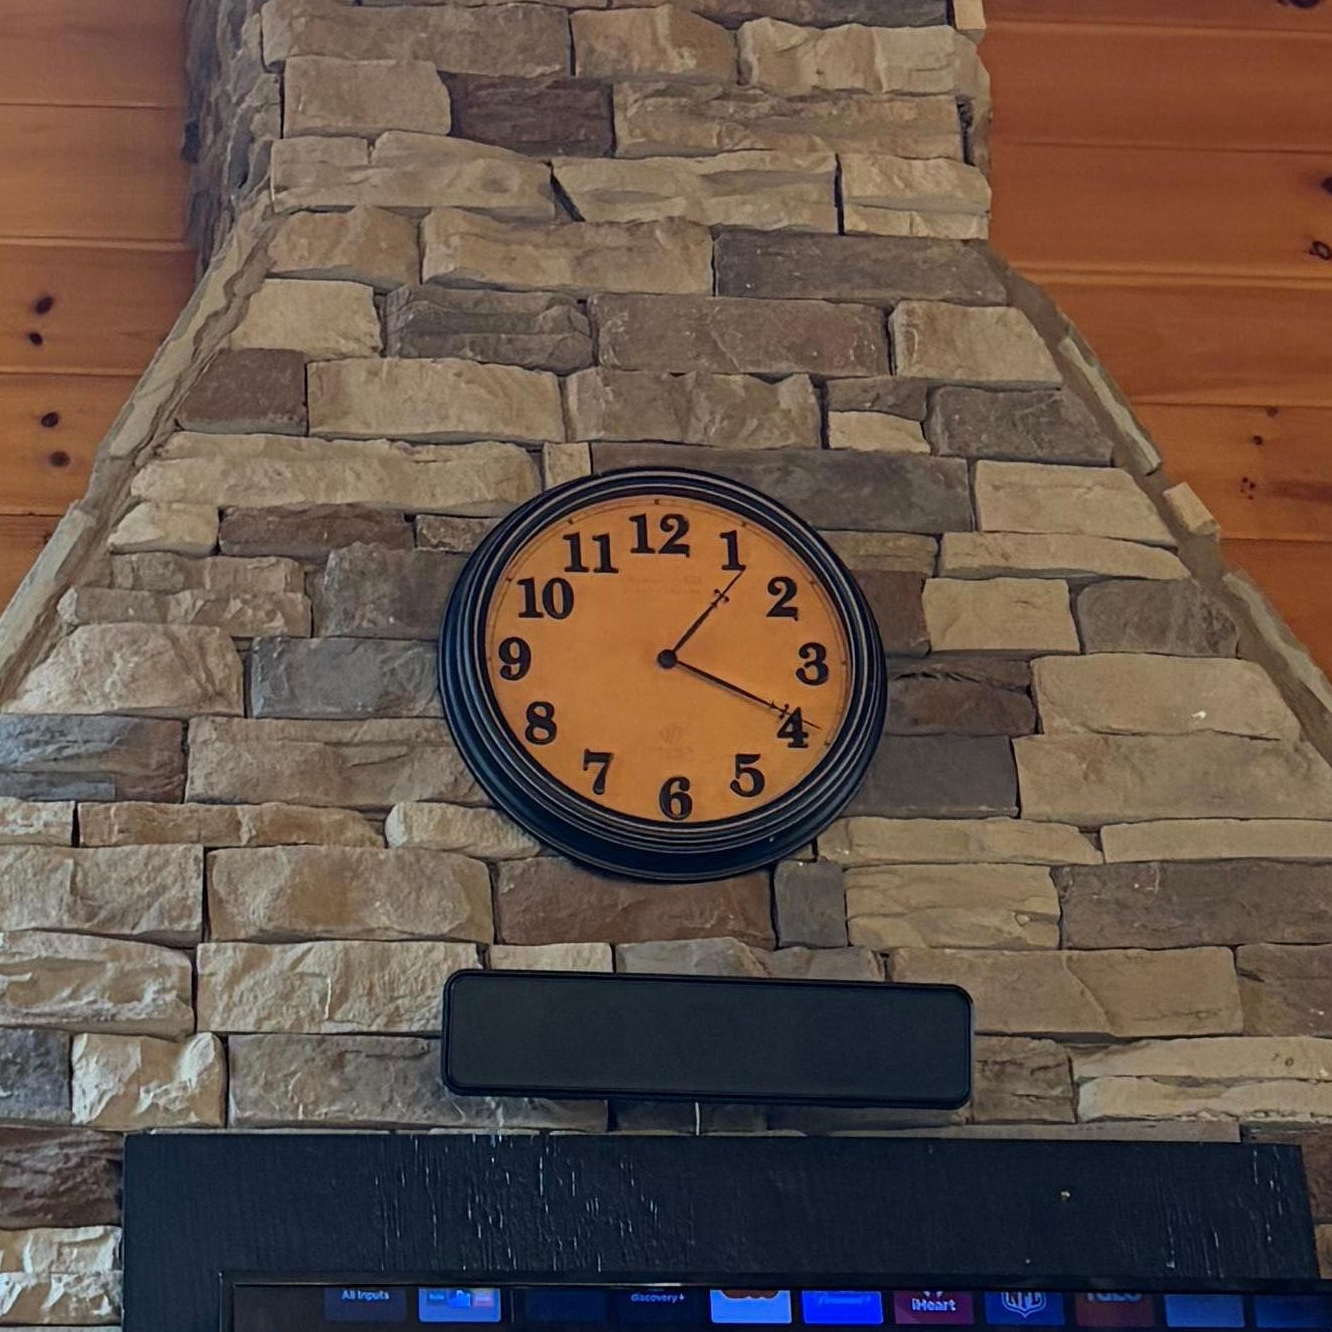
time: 1:19
